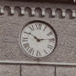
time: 10:13
